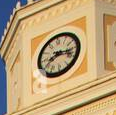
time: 8:16
